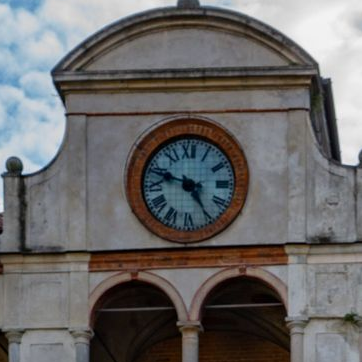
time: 4:48
